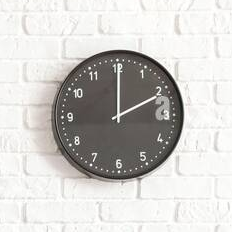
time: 2:00
